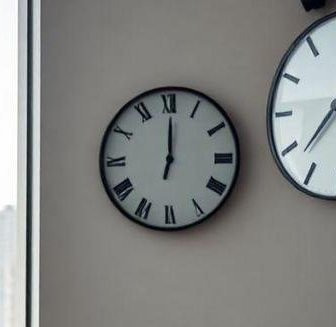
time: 12:00
